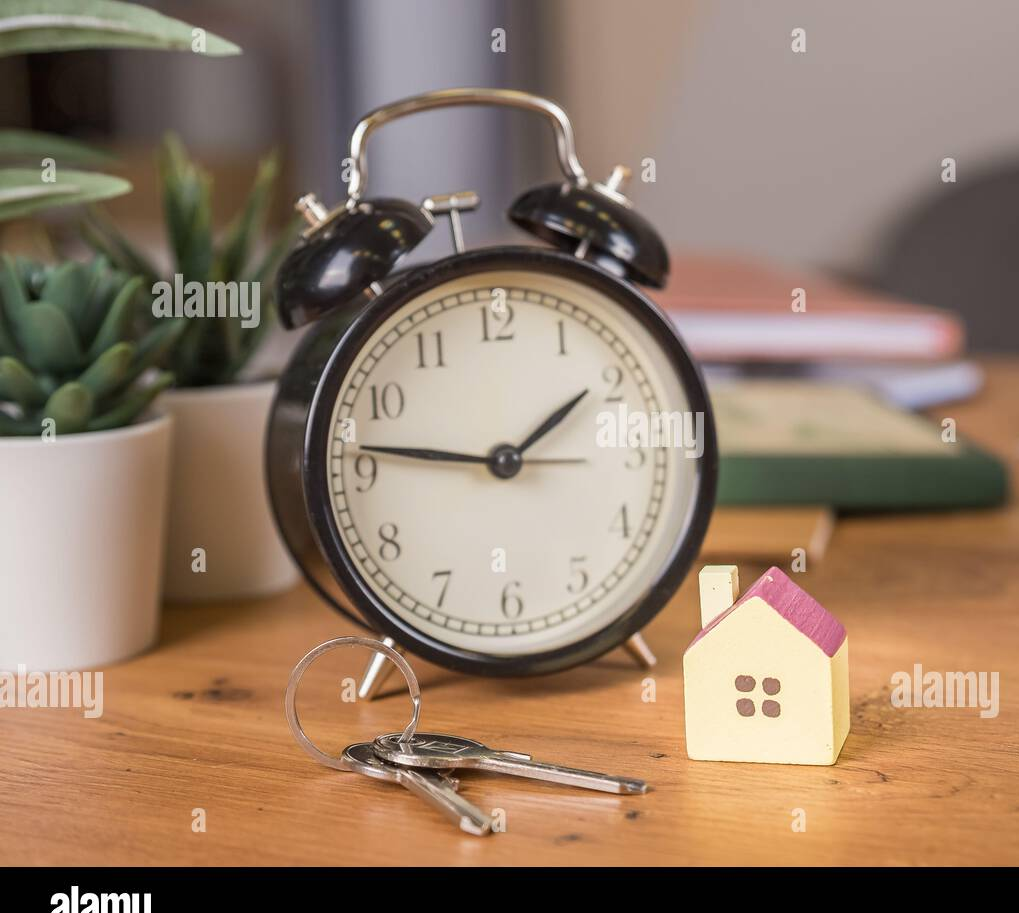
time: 1:46
